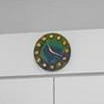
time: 11:19
